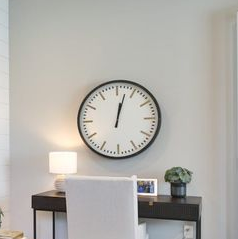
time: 12:02
